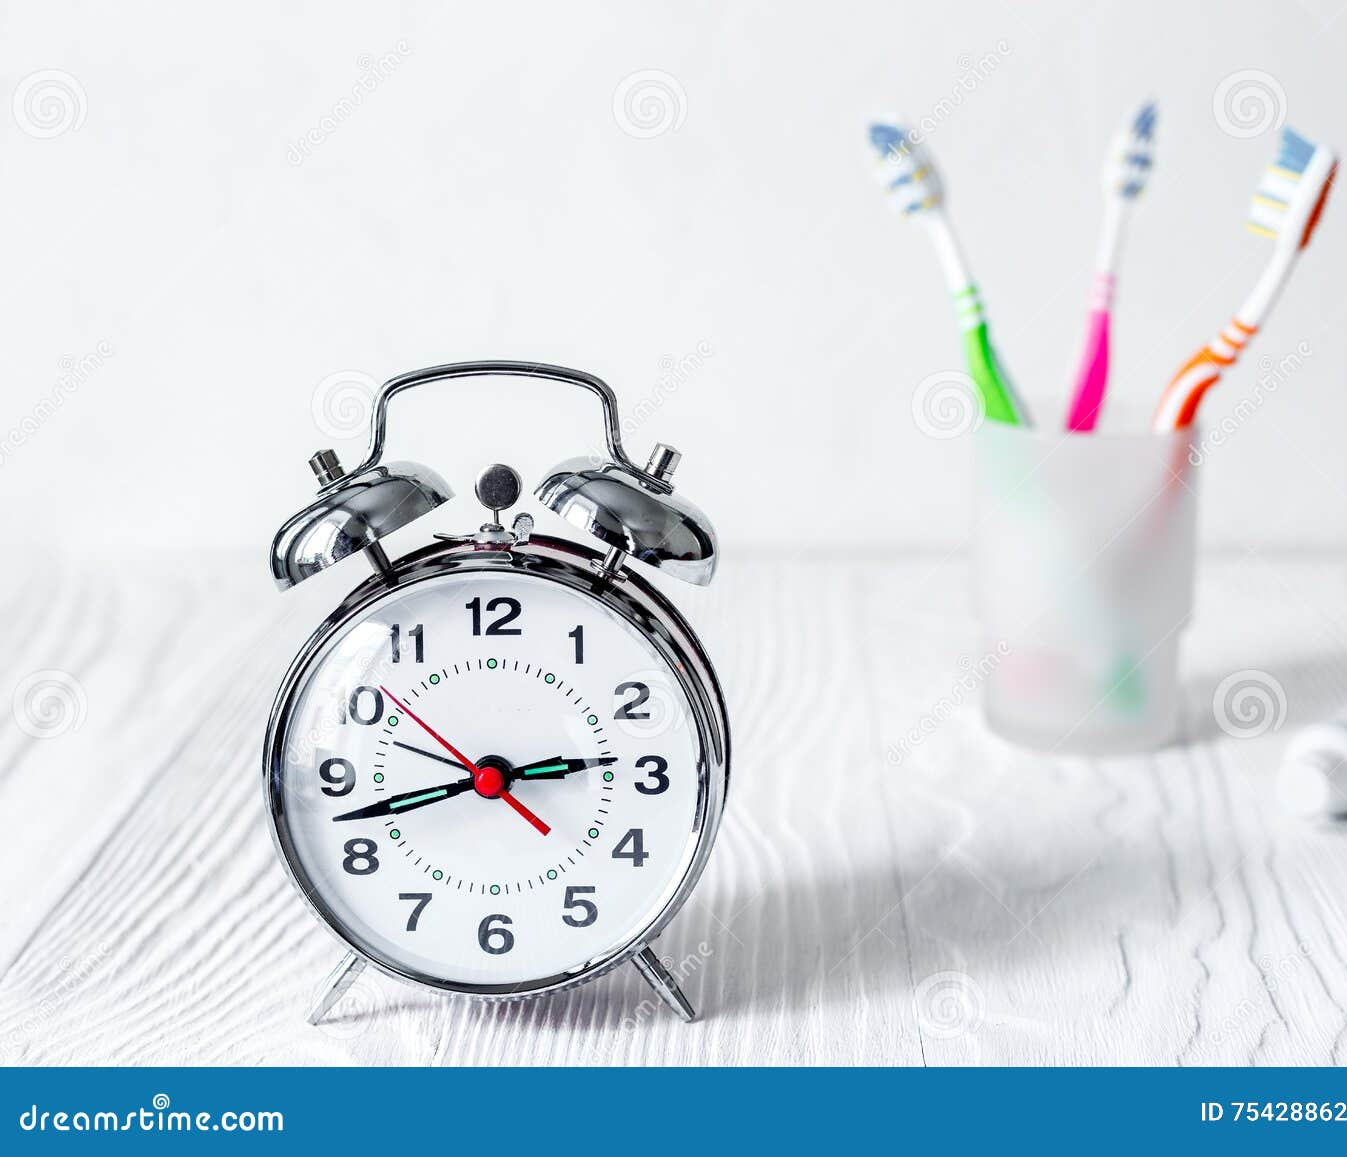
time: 2:42
